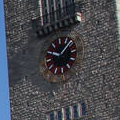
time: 10:07
